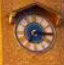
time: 7:15
